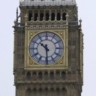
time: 10:29
